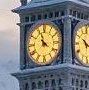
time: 3:56
